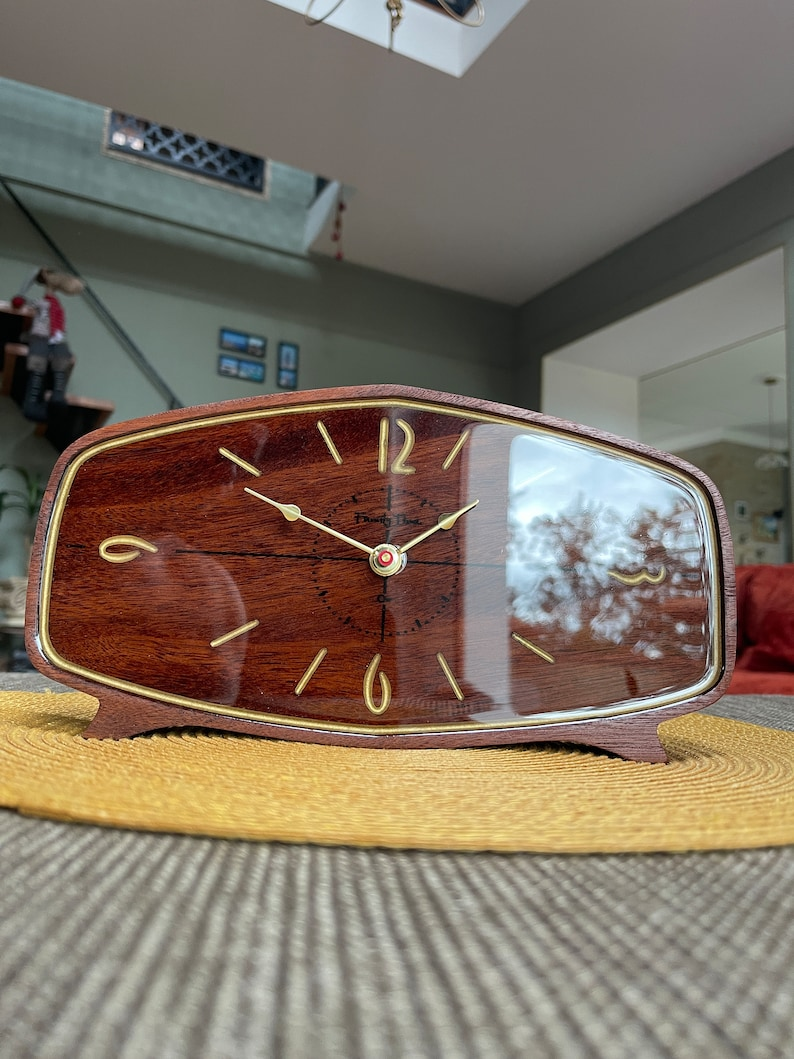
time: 10:00
